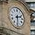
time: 2:29
